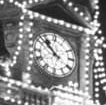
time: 10:52
